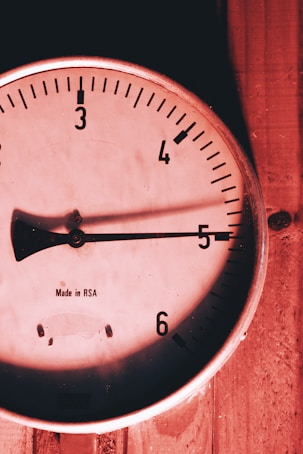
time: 9:14
